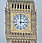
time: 3:00
